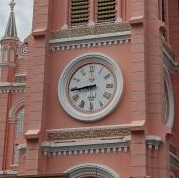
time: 8:44
